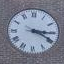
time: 3:19
